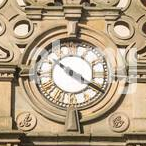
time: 10:20
